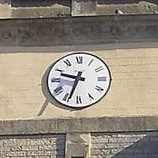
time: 9:33
